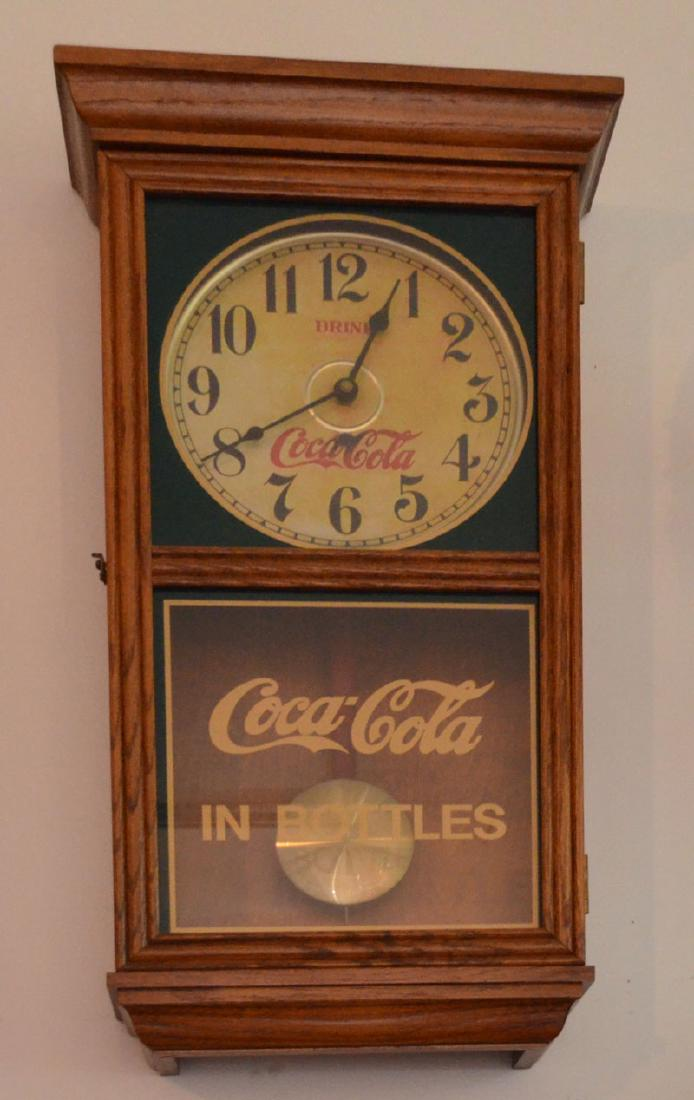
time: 8:04
